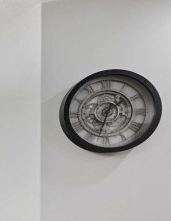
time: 1:33
